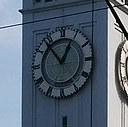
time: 12:53
